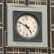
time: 4:49
